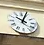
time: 10:03
